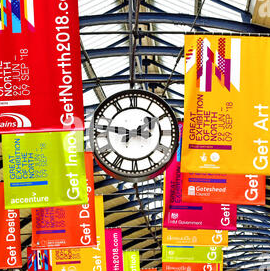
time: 1:46
